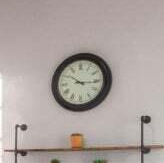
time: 10:15
